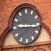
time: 9:16
